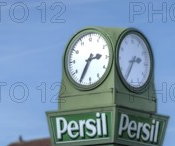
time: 2:35
